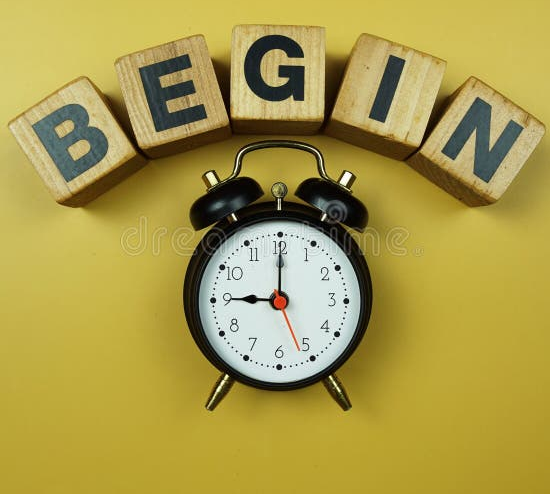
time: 9:00
